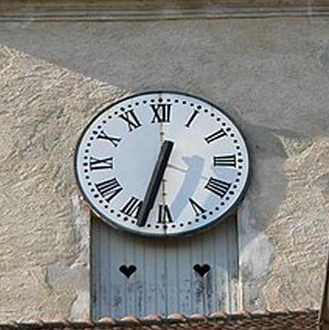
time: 6:32
